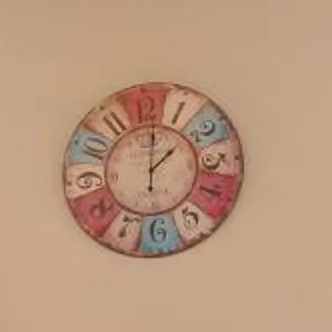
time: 2:01
